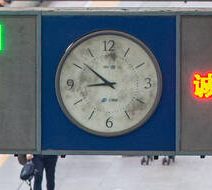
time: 8:51
